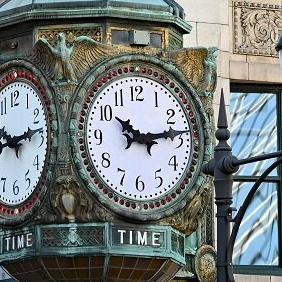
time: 10:13
